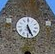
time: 5:26
